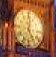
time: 12:24
